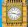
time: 9:17
